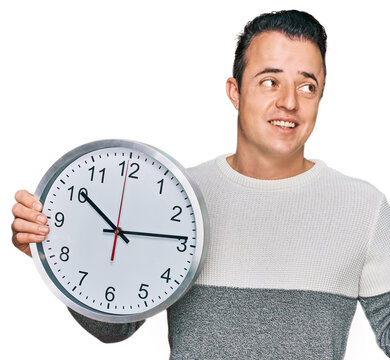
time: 10:13
